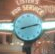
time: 8:12
